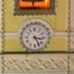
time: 3:24
